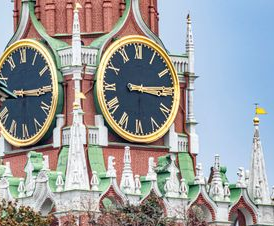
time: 3:14
